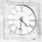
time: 4:31
